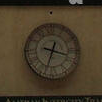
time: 3:33
